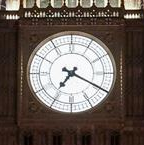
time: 7:19
